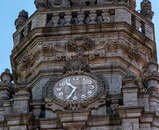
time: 10:34
